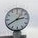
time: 2:40
